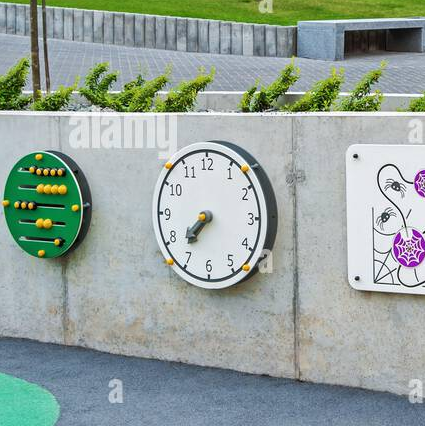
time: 7:36
